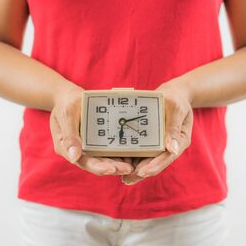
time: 6:12
